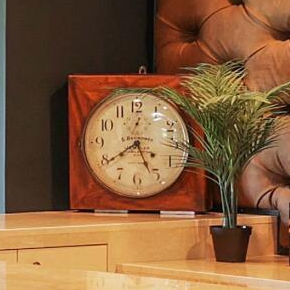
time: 4:39
